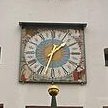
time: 1:32
